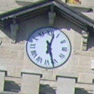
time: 12:27
